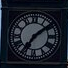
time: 7:08
